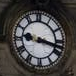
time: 9:17
